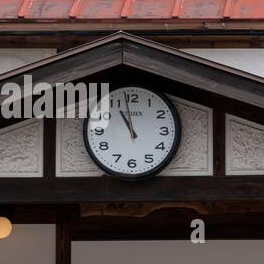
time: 10:58
